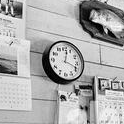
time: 12:18
